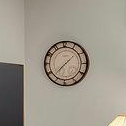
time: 1:37
